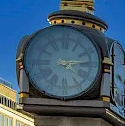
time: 4:13
